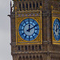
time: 12:10
